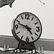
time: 4:47
